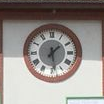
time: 1:28
